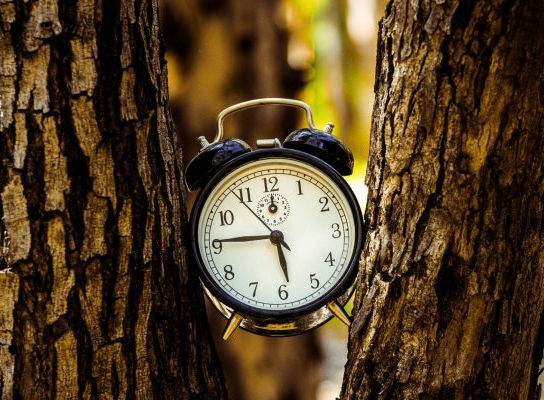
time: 5:45
